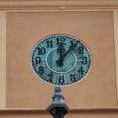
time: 12:06
